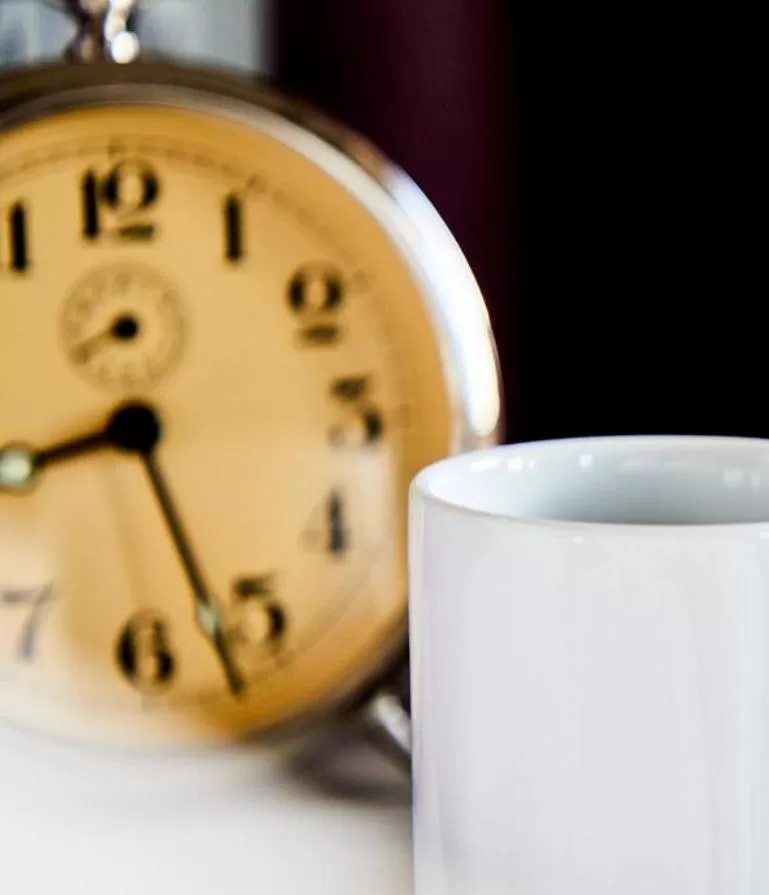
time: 8:26
